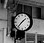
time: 1:37
